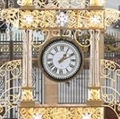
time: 1:10
